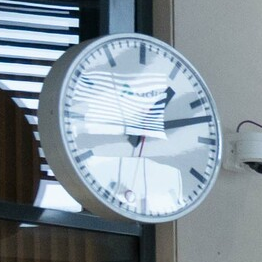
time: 1:12
